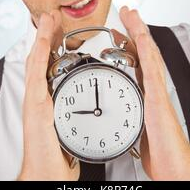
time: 9:01
